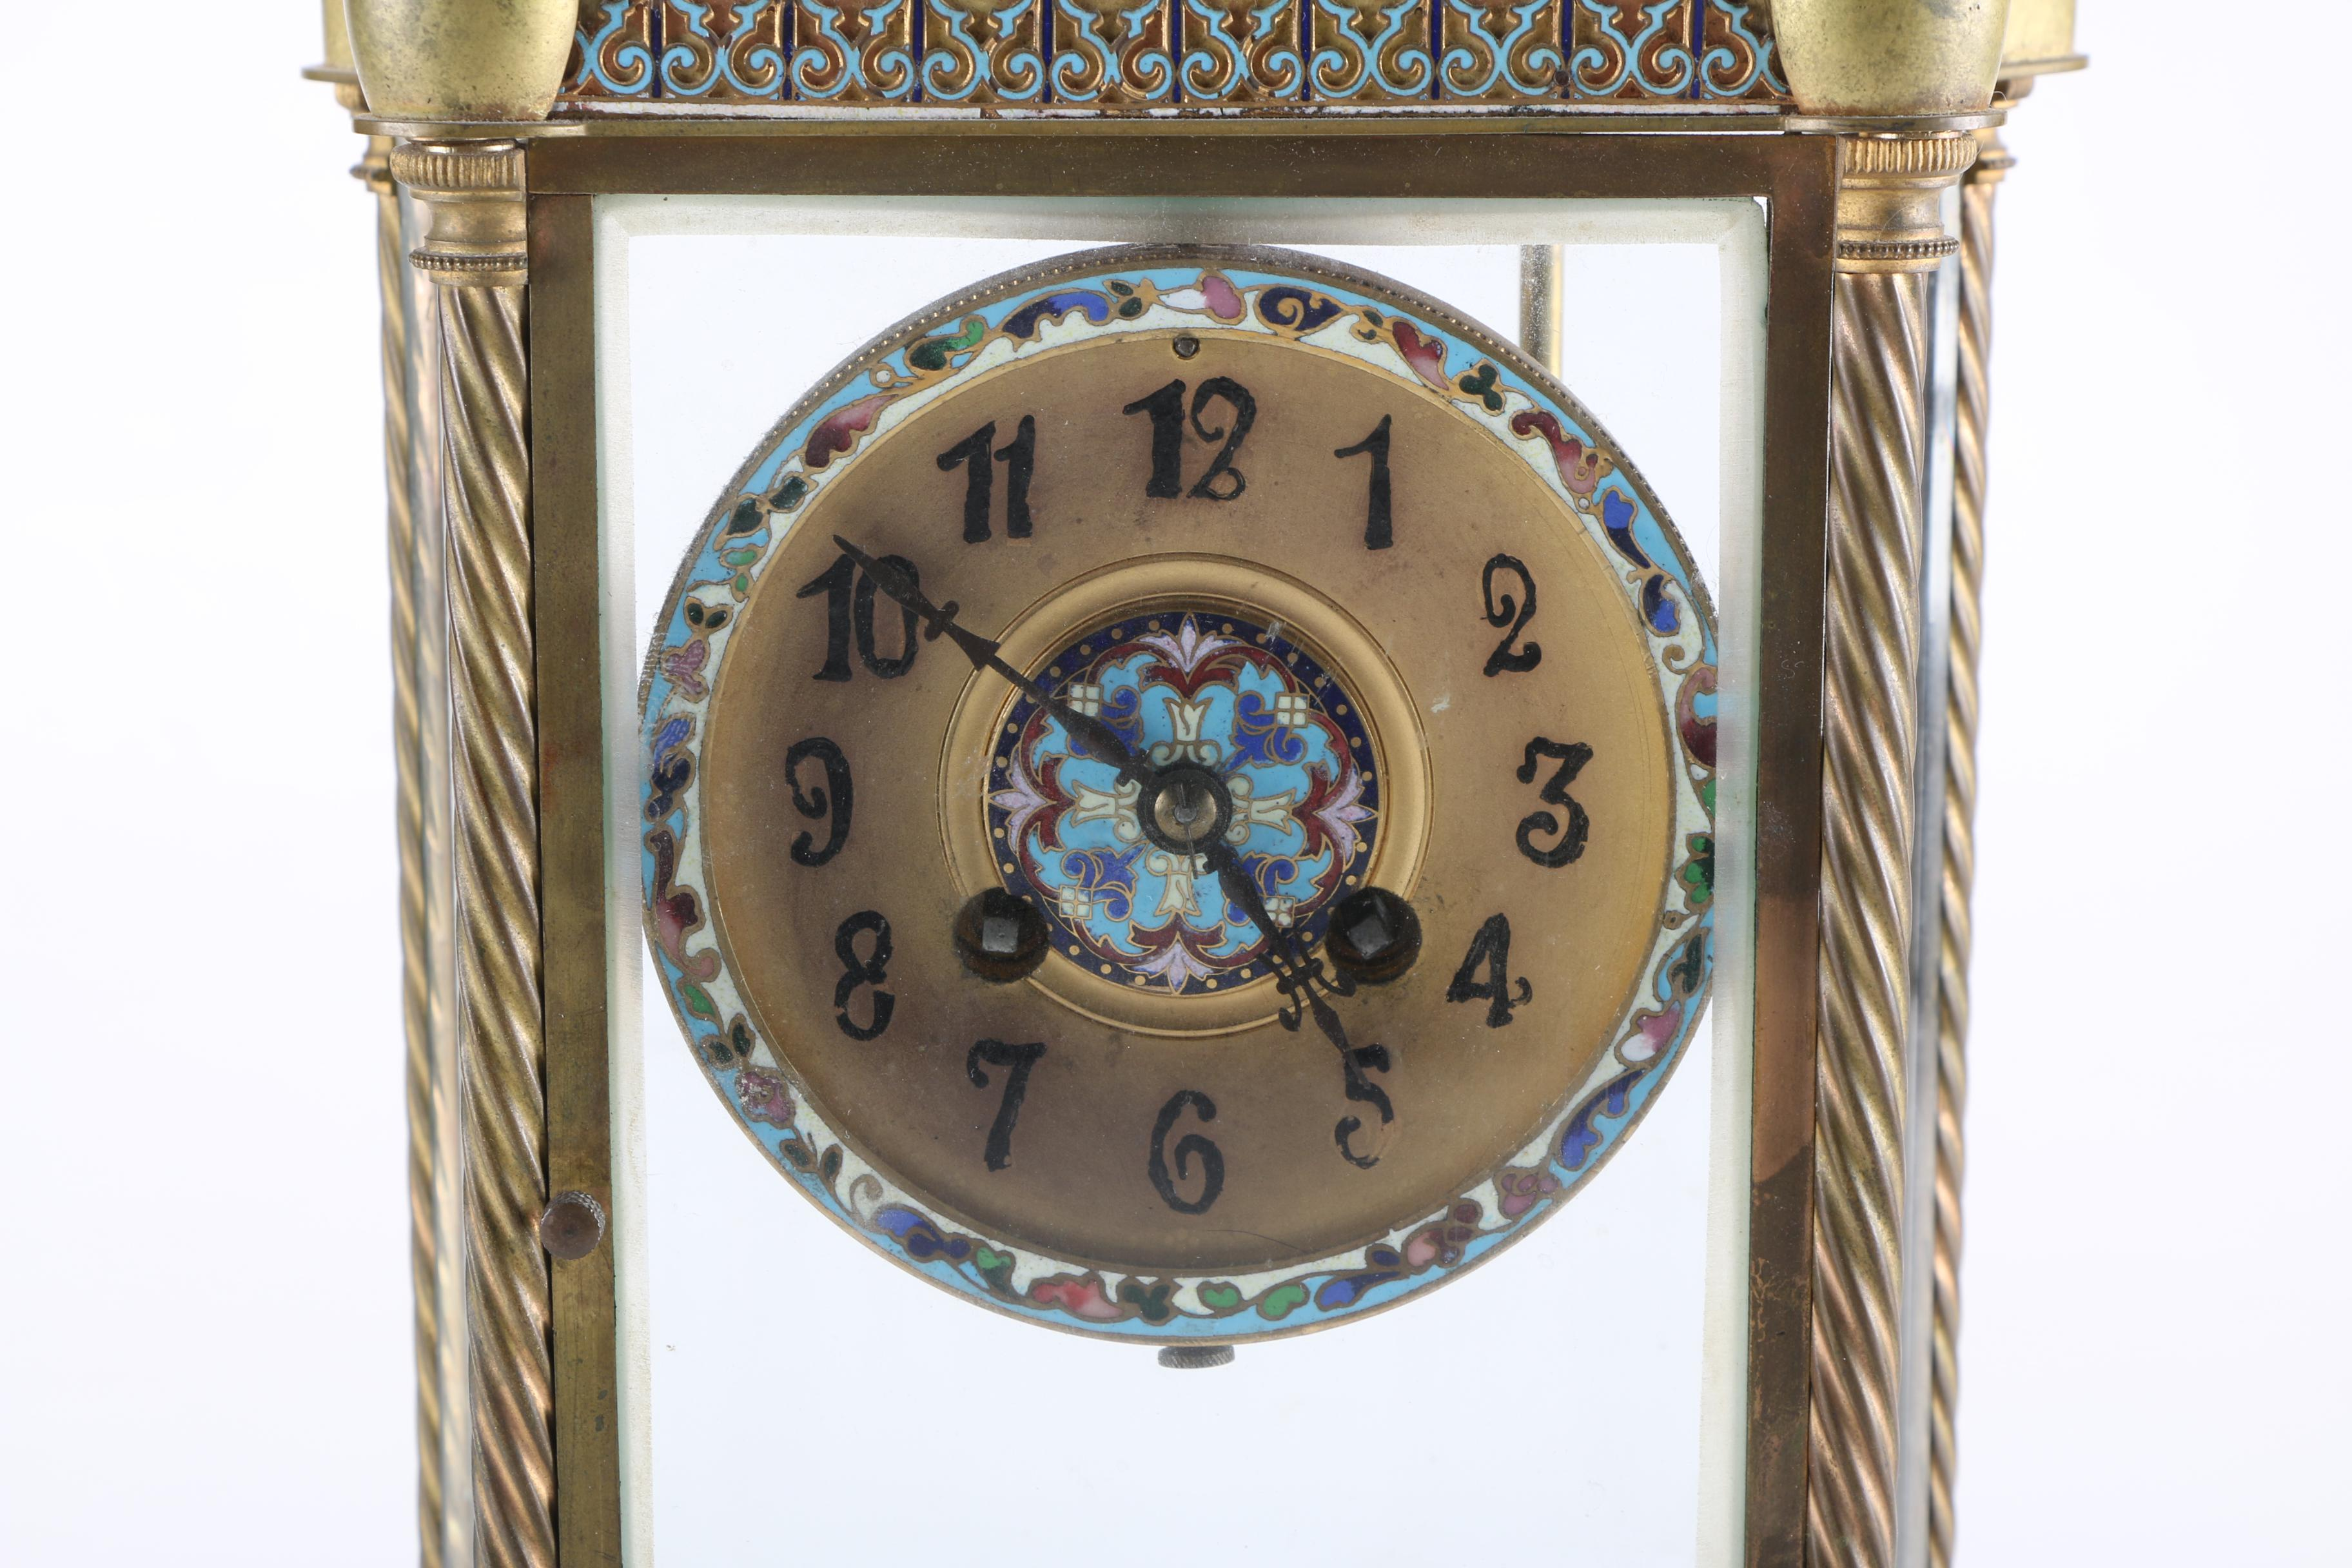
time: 4:50
